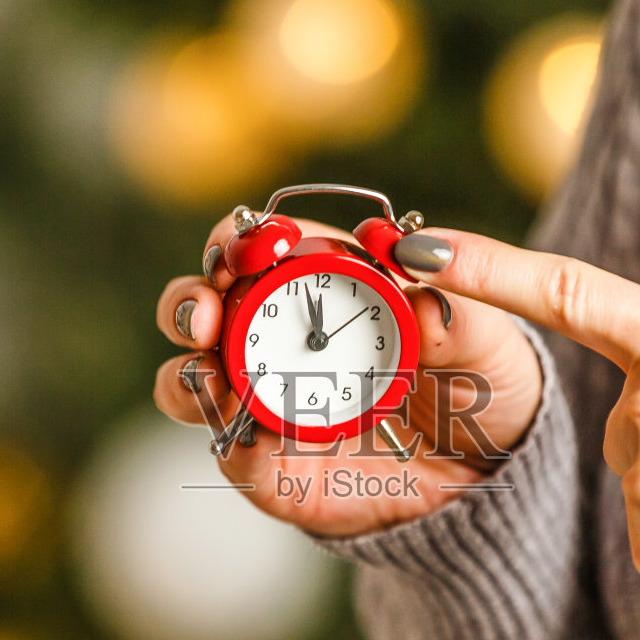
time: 11:57
